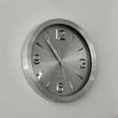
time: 10:53
